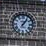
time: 1:06
